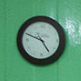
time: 4:48
